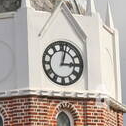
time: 3:02
